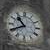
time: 10:40
